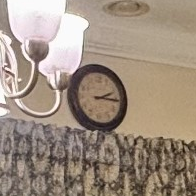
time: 2:15
